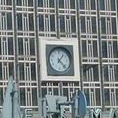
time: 1:22
